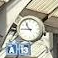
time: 10:45
